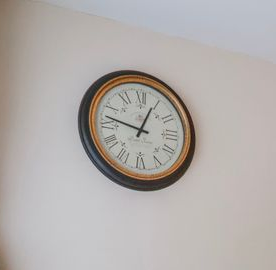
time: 12:47
